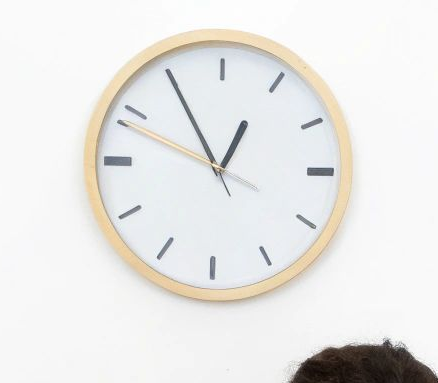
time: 12:54
